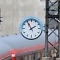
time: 1:54
